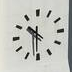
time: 10:30
